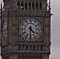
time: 4:31
